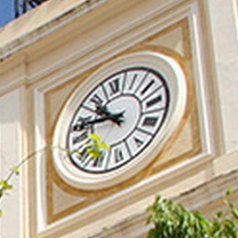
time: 10:48
